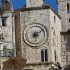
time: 6:08
